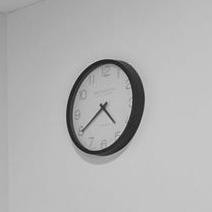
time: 4:39
